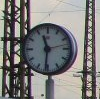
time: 11:31
